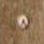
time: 4:35
